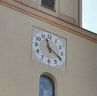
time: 11:19
